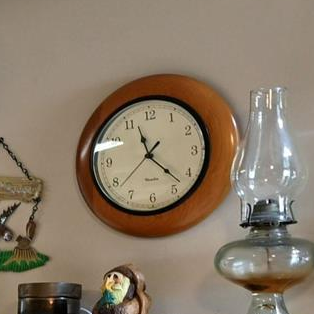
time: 11:22
